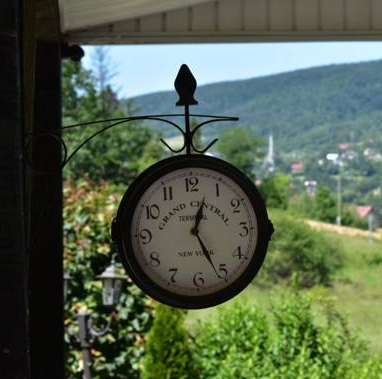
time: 12:26
